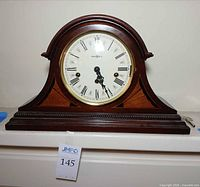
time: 5:26
